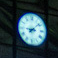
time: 9:08
